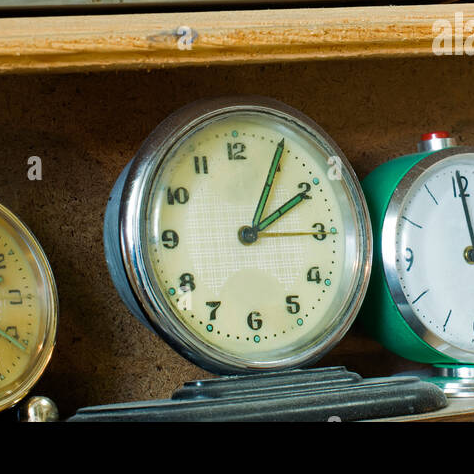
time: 2:04
